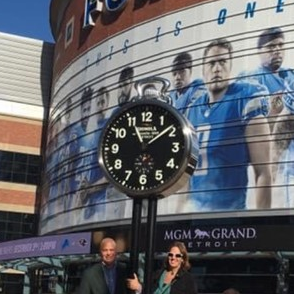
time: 11:08
